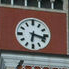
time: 6:17
